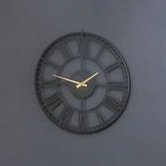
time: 1:47
